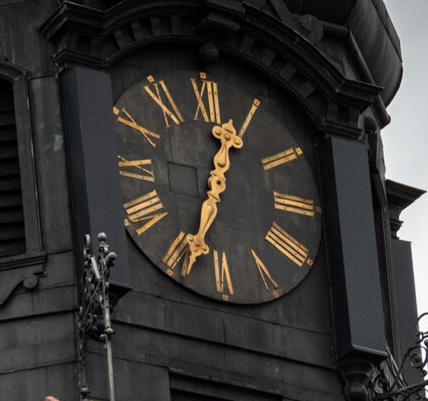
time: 12:33
